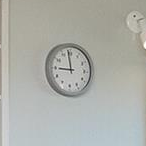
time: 8:58
